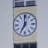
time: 6:59
